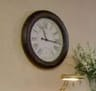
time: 11:16
